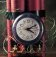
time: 4:10
